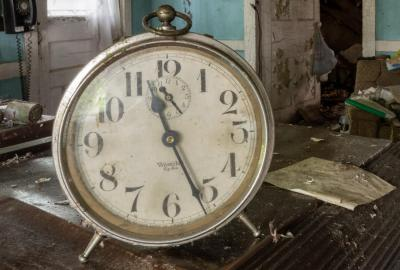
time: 11:26
